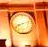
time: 8:12
